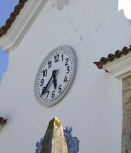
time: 5:38
